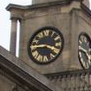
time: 3:43
